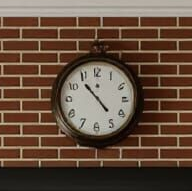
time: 10:53
